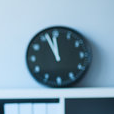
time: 11:56
